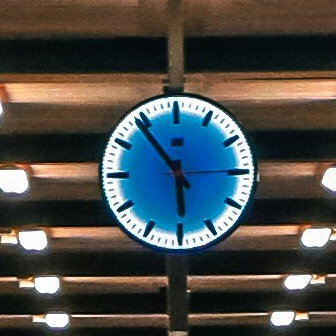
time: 5:54
